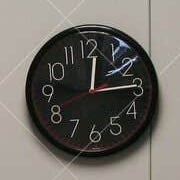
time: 12:14
